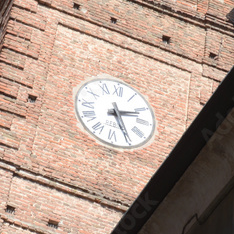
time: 2:25
